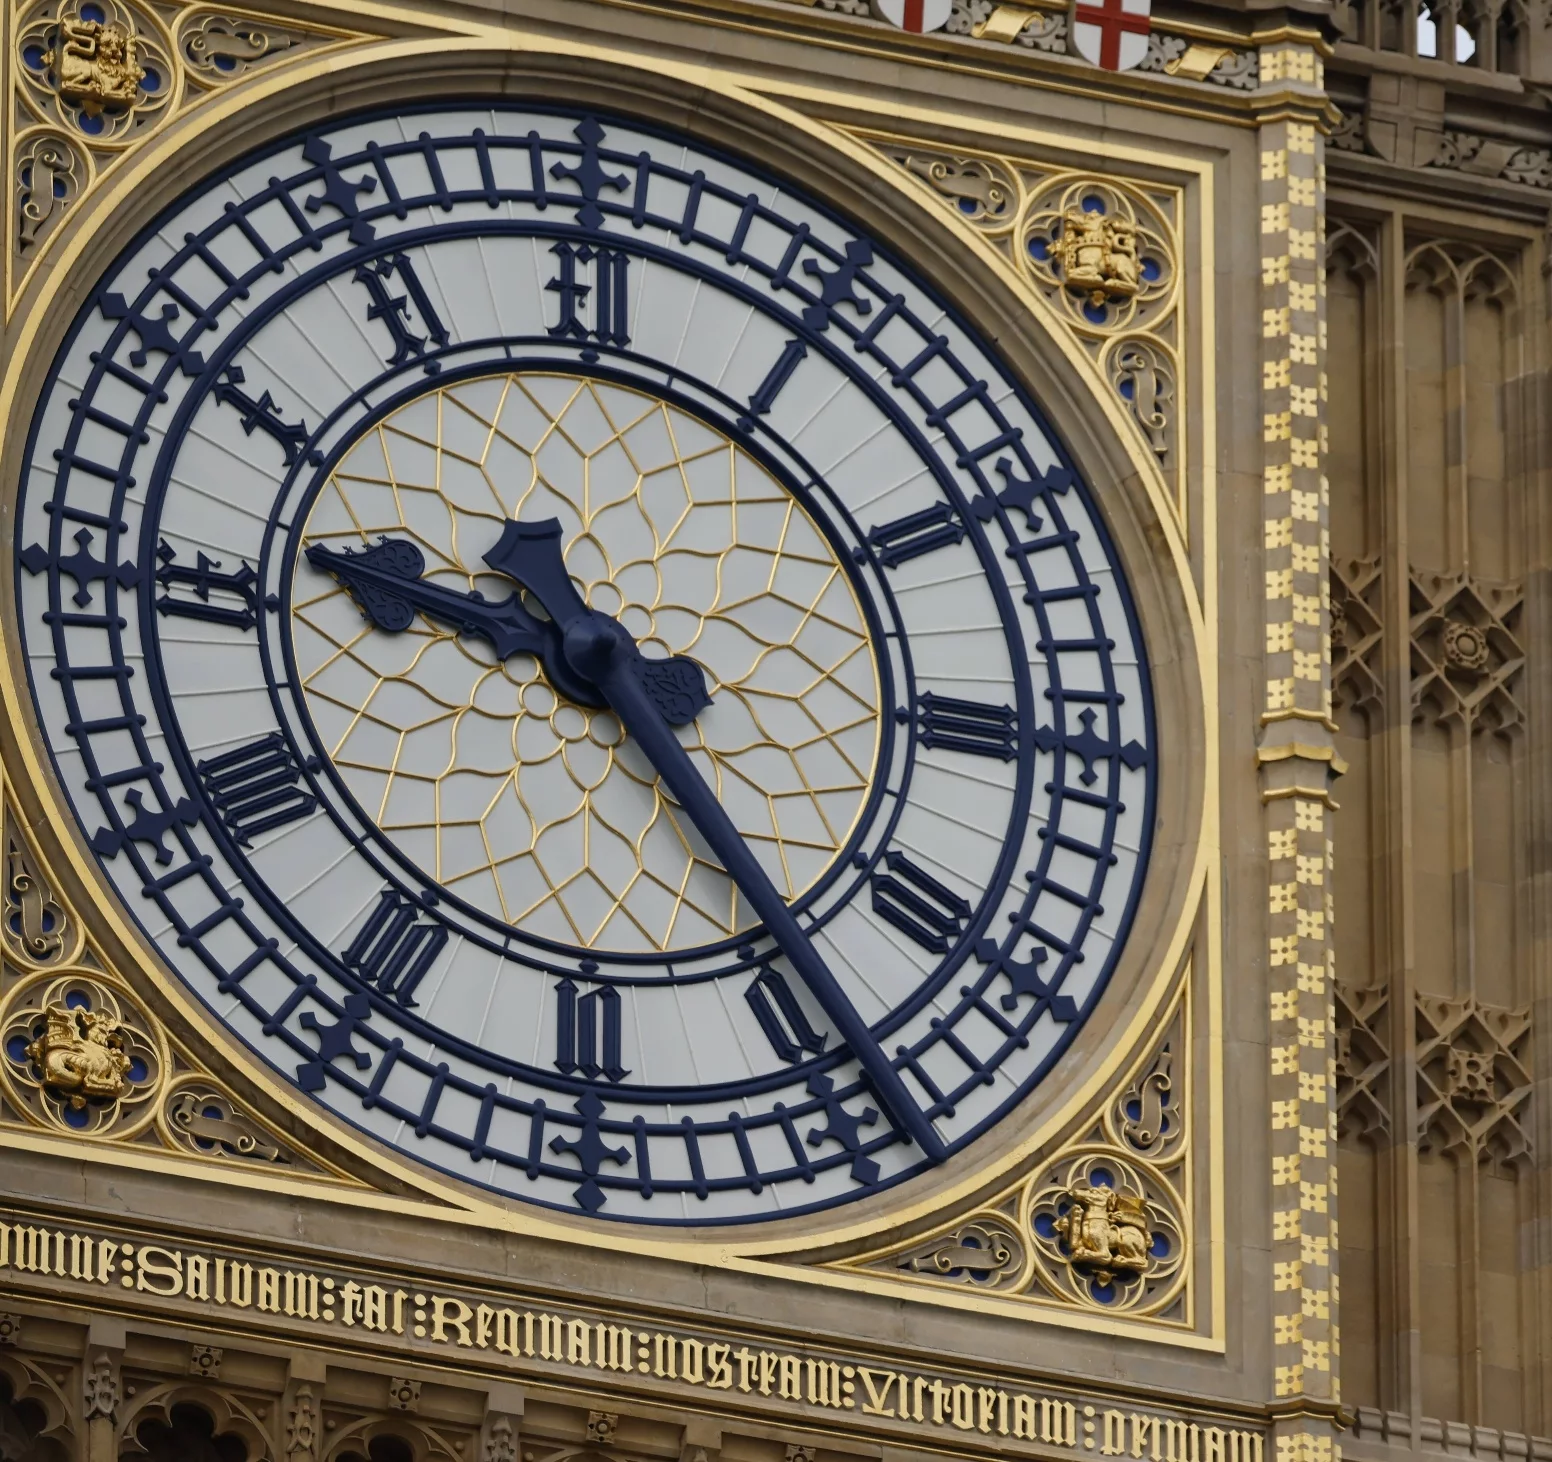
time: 9:23
